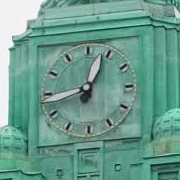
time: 12:43
